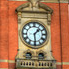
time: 1:29
